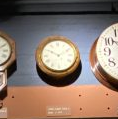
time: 10:10
